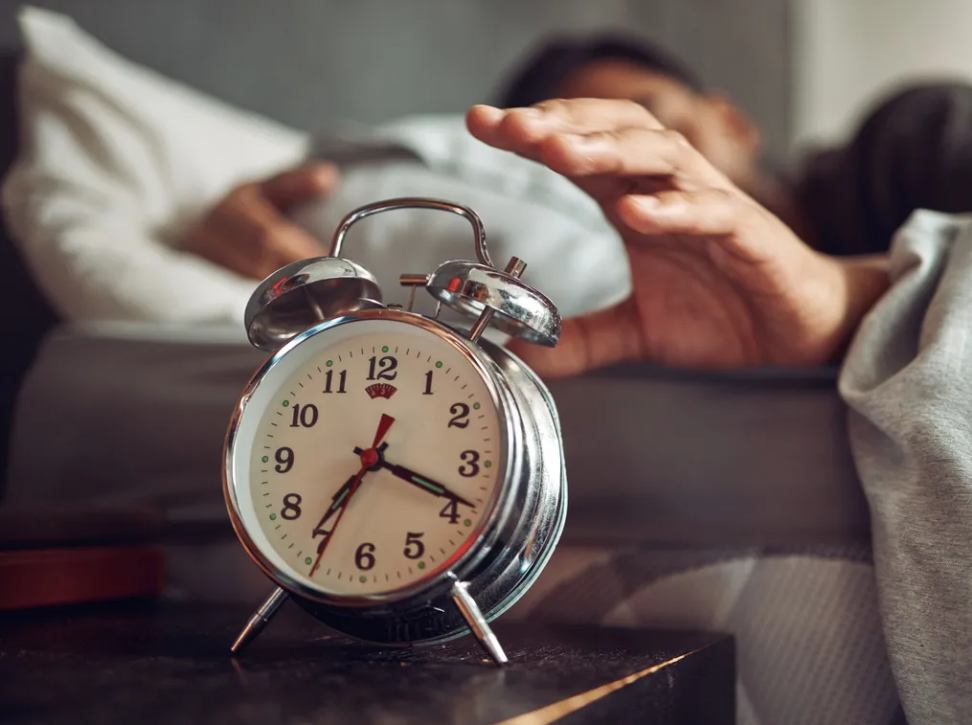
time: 7:18
